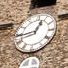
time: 12:43
